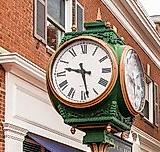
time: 9:28
